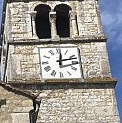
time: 12:12
